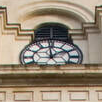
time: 1:59
